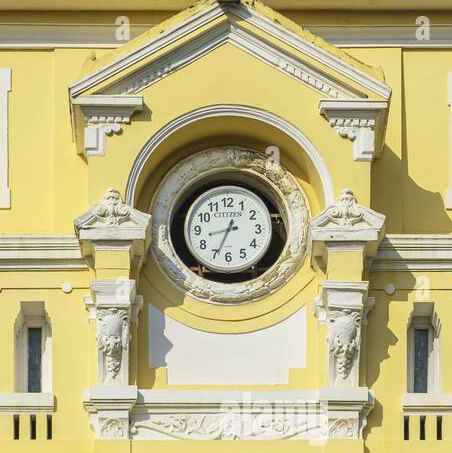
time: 12:34
